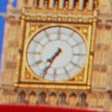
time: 7:34
